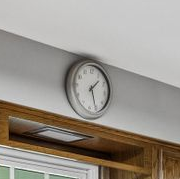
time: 1:25
